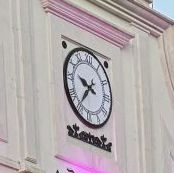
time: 9:36
